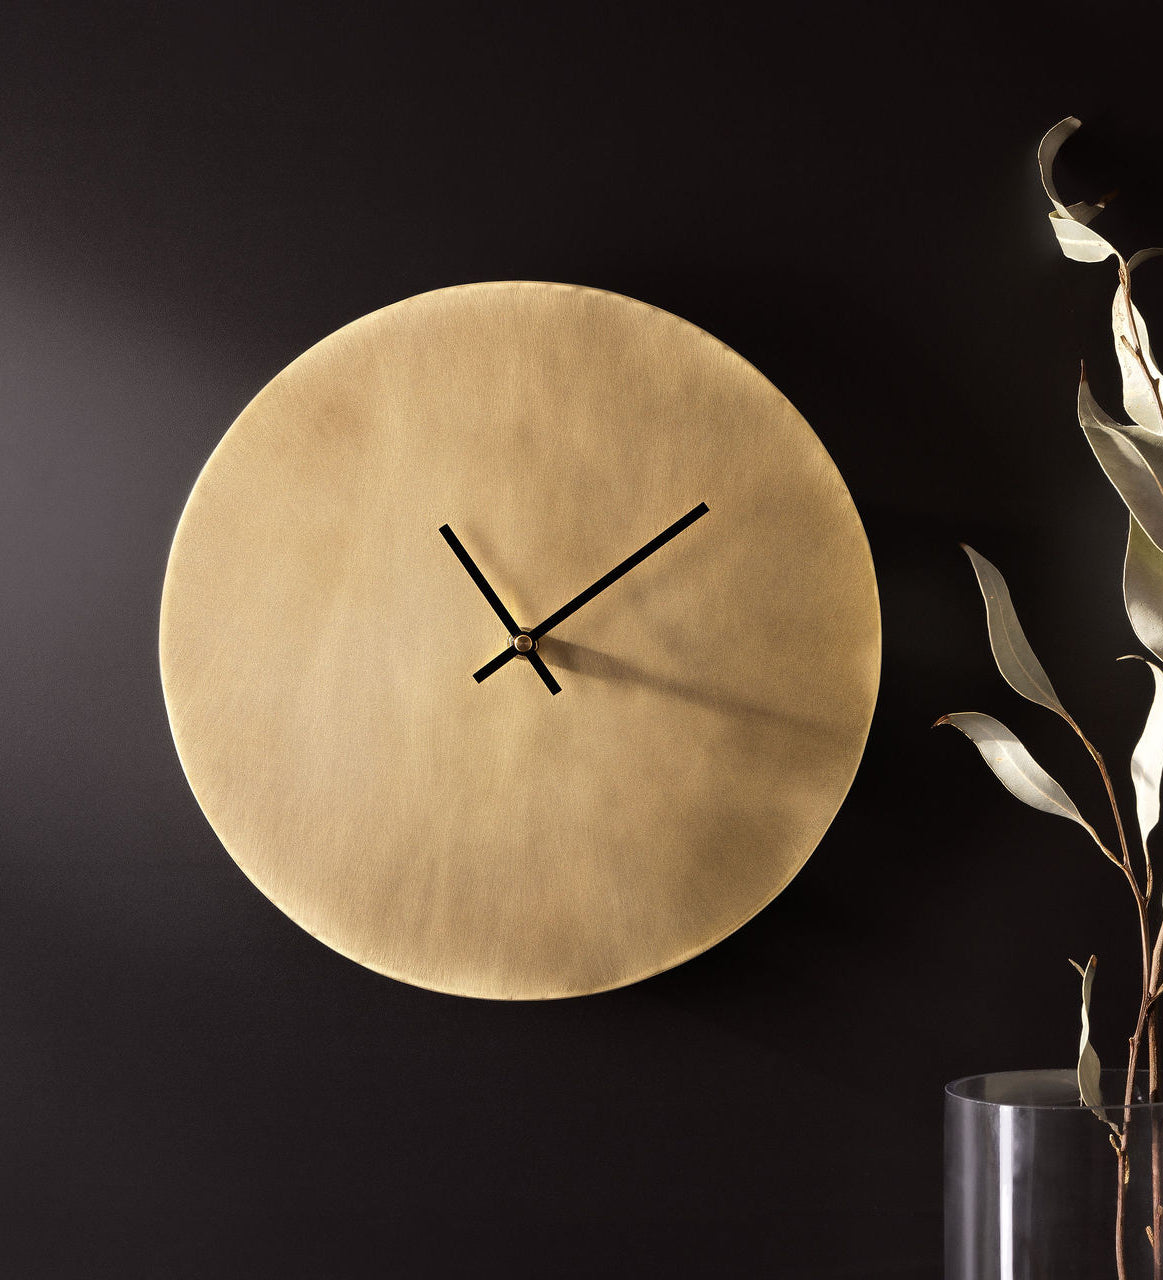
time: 11:09
